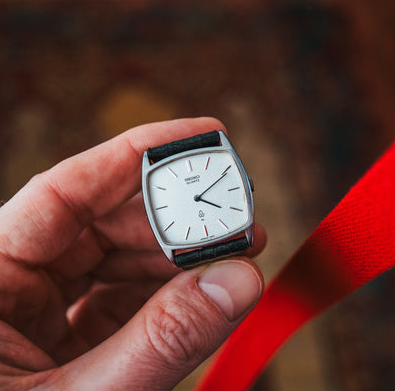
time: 4:10
